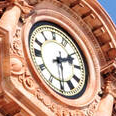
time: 2:29
